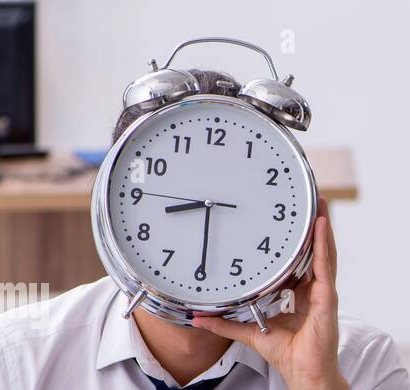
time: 8:29
